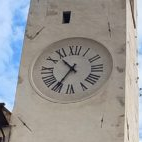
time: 10:35
